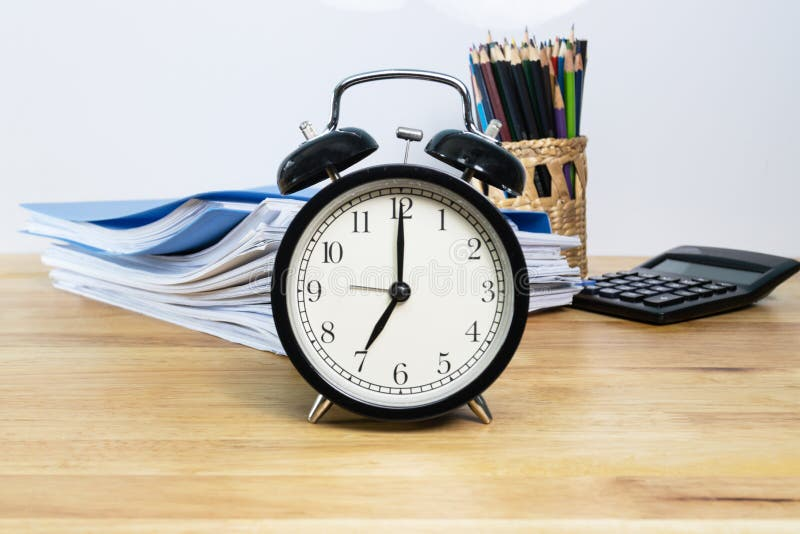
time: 7:00
